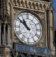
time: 10:51
